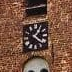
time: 1:21
